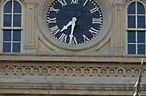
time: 7:32
